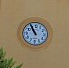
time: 10:55
